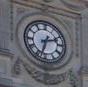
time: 2:33
